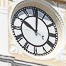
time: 10:00
